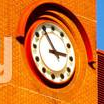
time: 2:54
